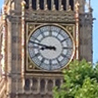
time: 8:47
